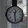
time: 12:28
